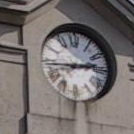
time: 2:44
